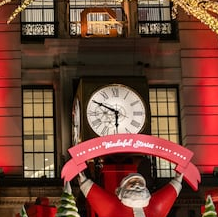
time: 5:49
